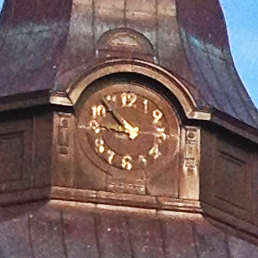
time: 8:52
